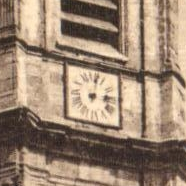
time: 3:01
